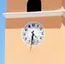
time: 4:31
